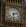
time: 2:29
